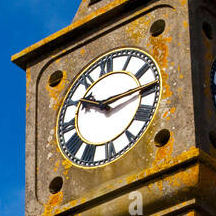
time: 10:14
